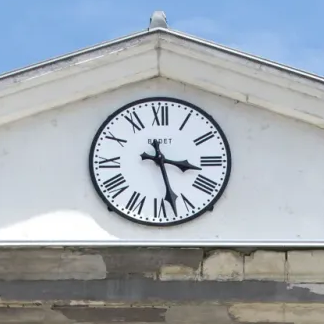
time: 3:27
